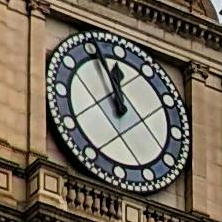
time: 11:56
